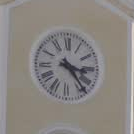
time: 3:23
